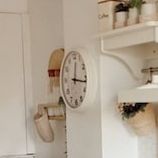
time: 12:16
